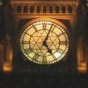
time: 5:03
